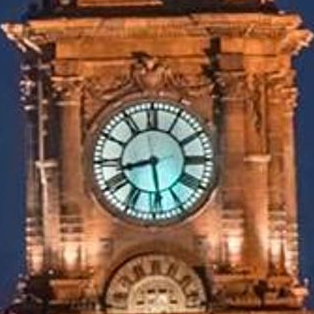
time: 8:28
